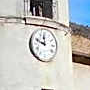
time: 11:48
